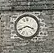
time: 3:41
